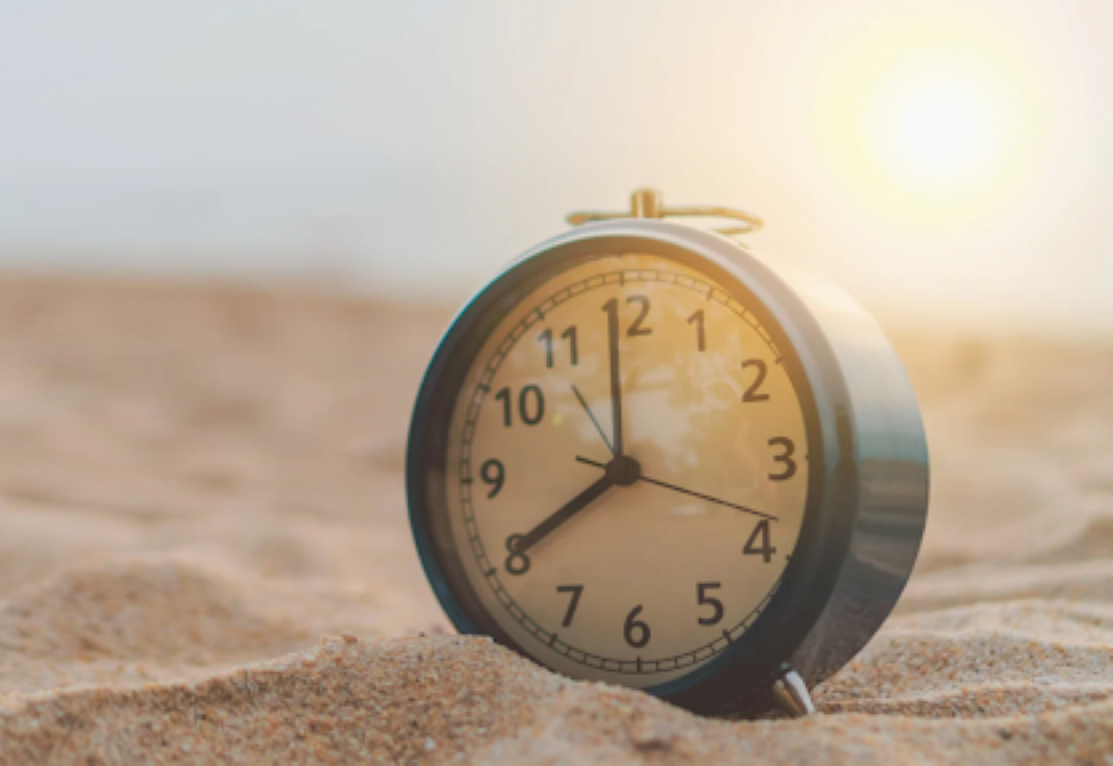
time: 7:59
